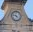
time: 4:46
